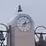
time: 1:12
